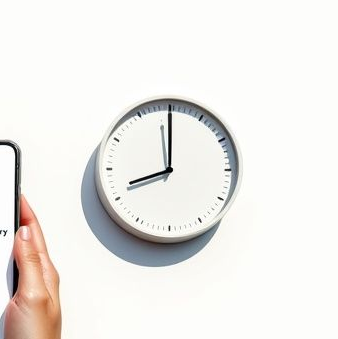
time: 7:59
